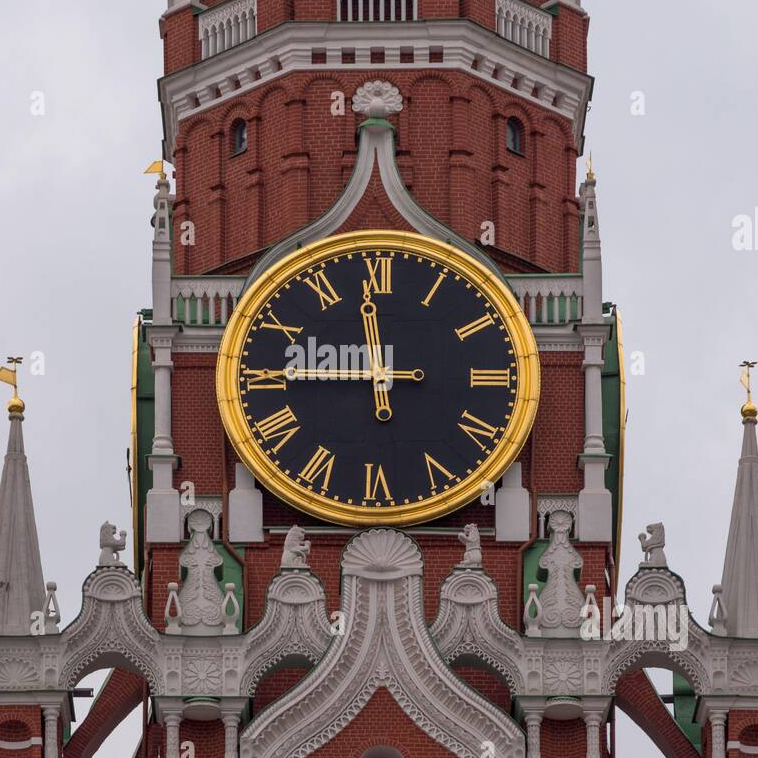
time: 11:45
